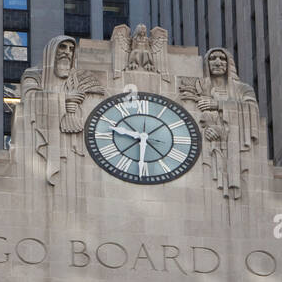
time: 9:30
